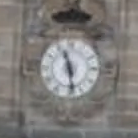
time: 11:28
